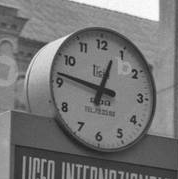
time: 12:46
